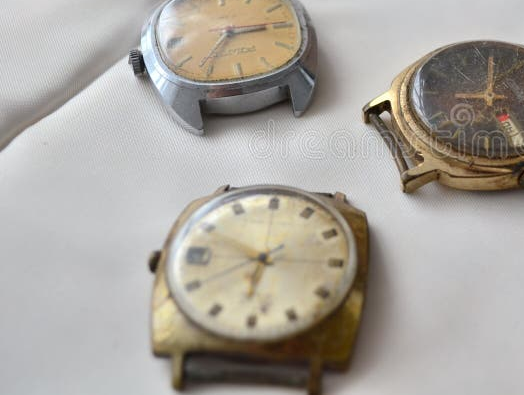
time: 6:15
